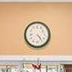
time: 4:23
